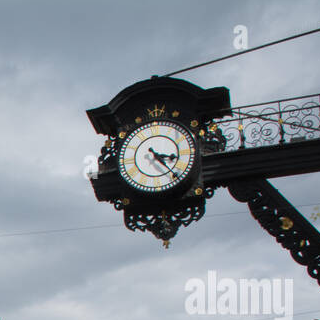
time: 3:22
